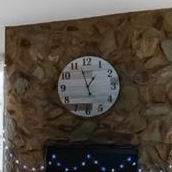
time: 12:57
